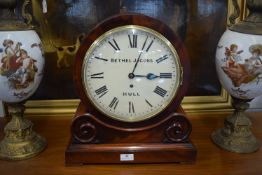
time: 3:03
